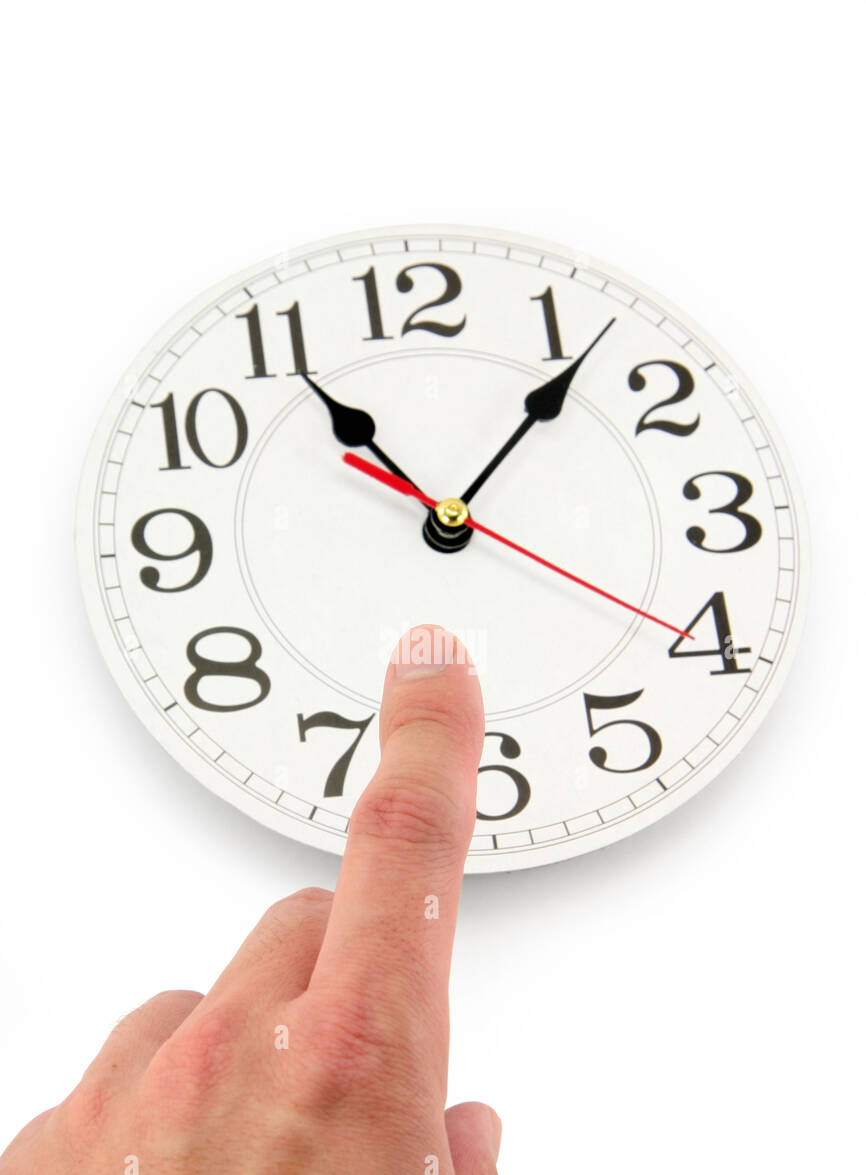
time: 11:07
